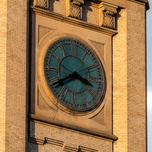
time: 3:39
